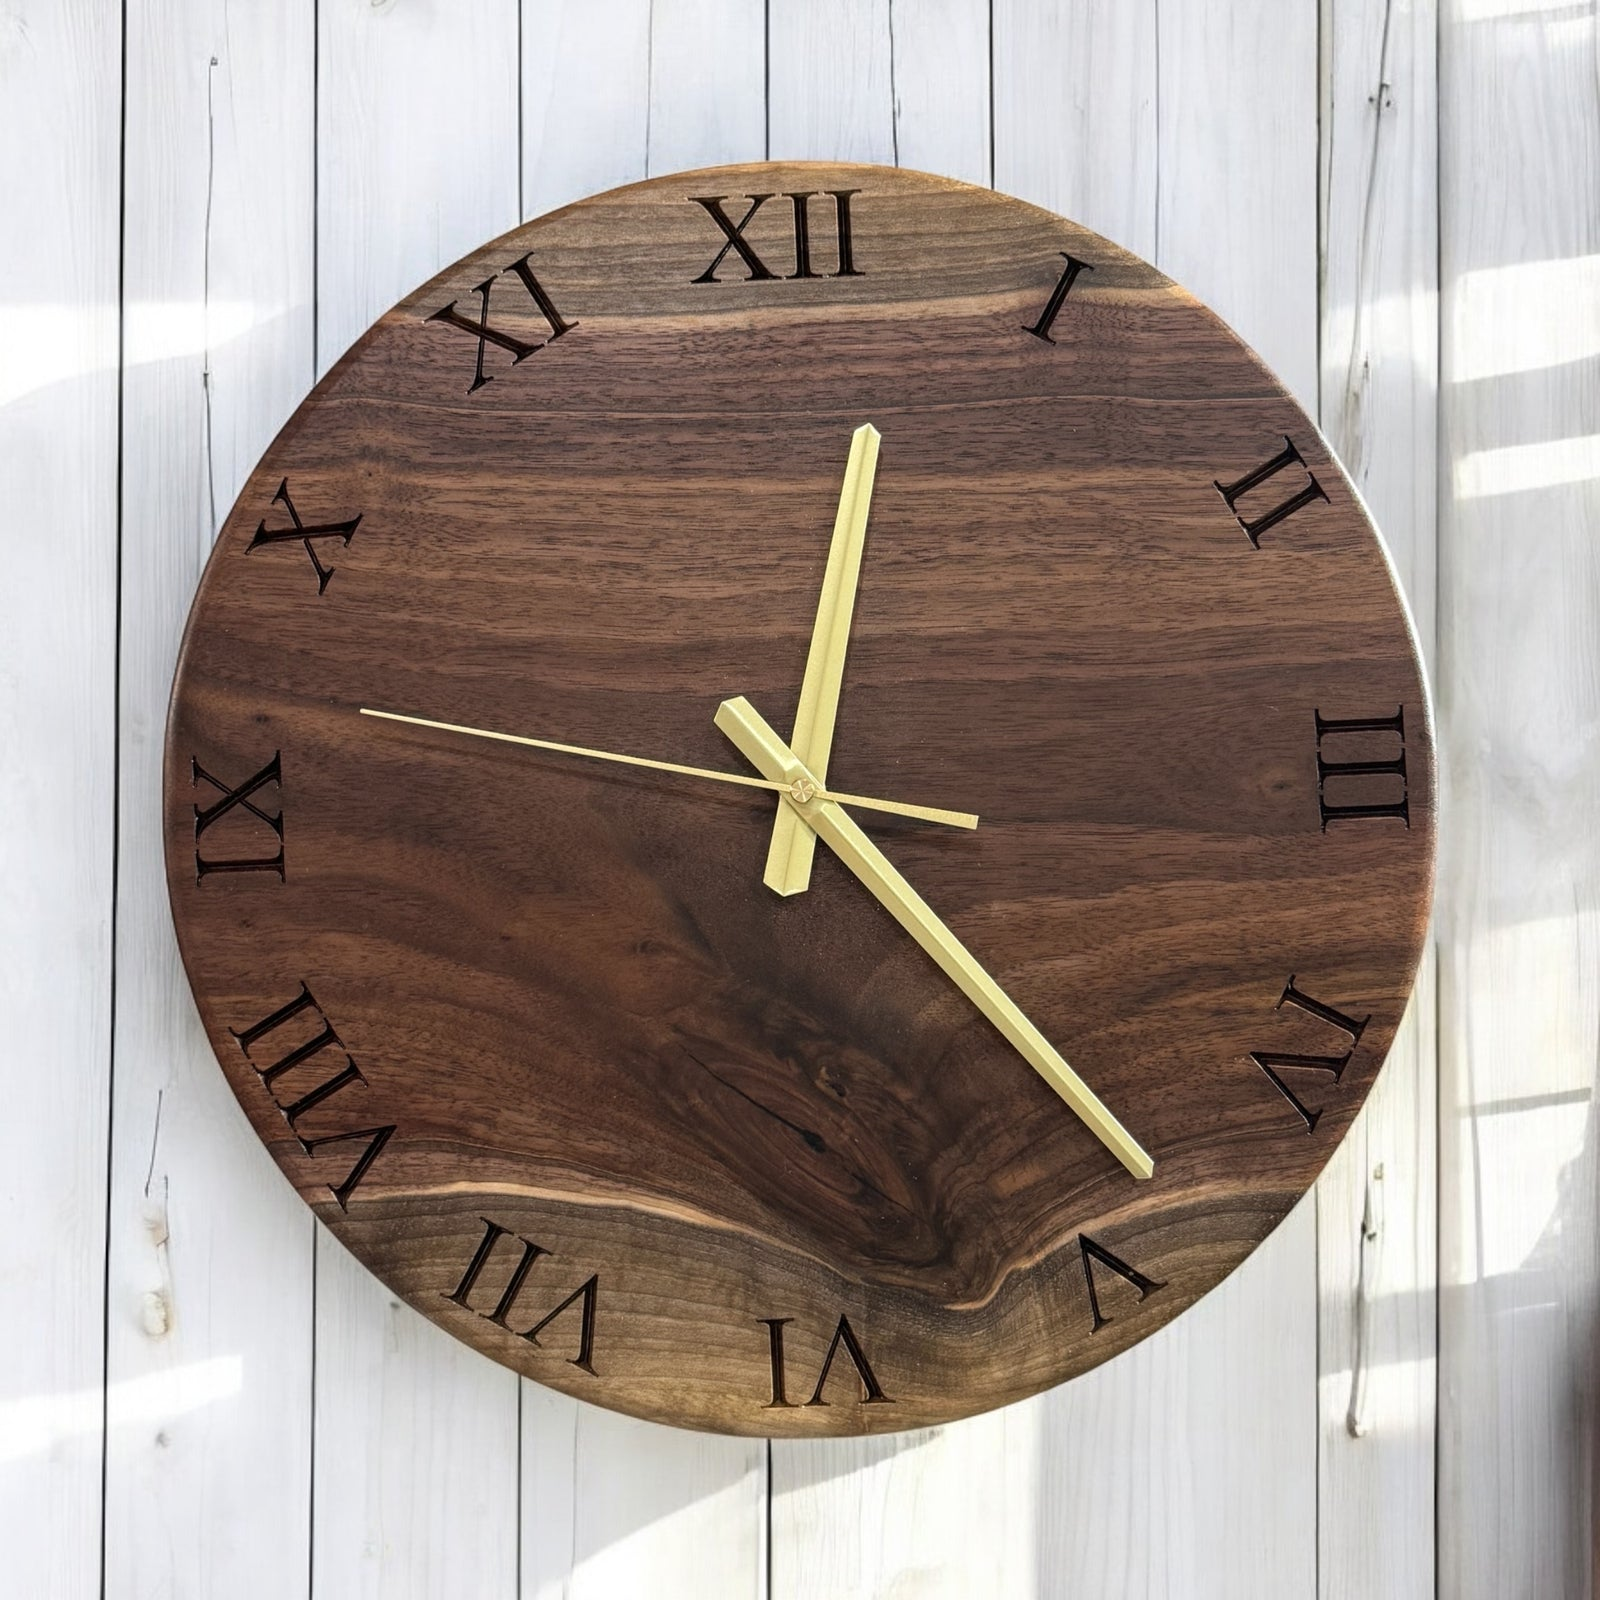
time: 12:23
